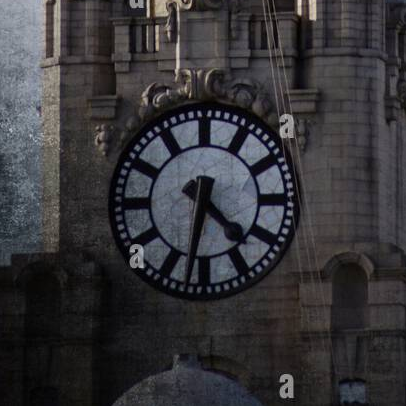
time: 4:32
